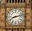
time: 8:12
